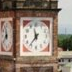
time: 11:36
